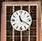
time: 11:19
